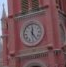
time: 12:24
